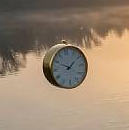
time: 1:49
